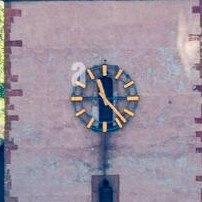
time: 11:22
